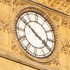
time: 3:50
